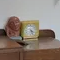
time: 4:26
